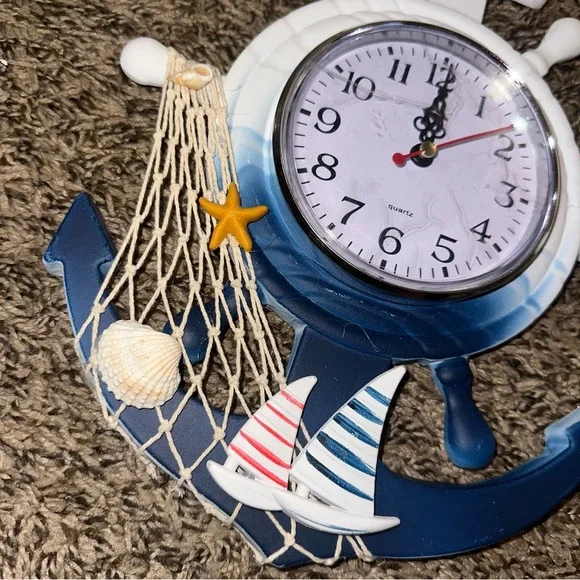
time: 12:00
